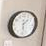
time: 1:28
